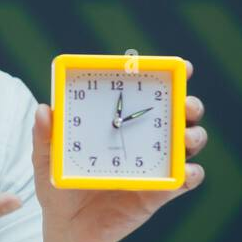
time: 12:11
